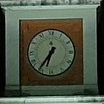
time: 6:36
